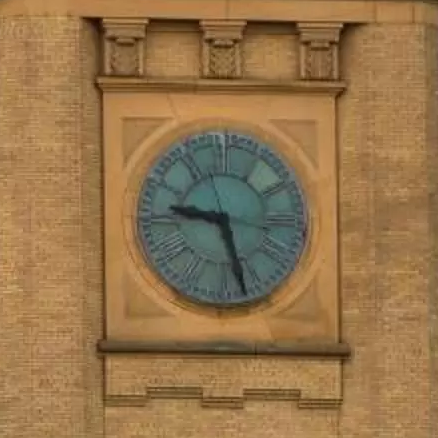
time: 9:27
